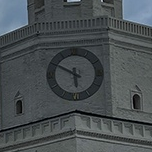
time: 5:50
